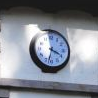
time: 3:32
